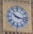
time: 10:17
